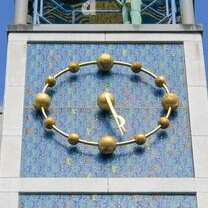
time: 5:26
